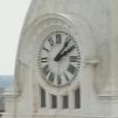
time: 2:06
